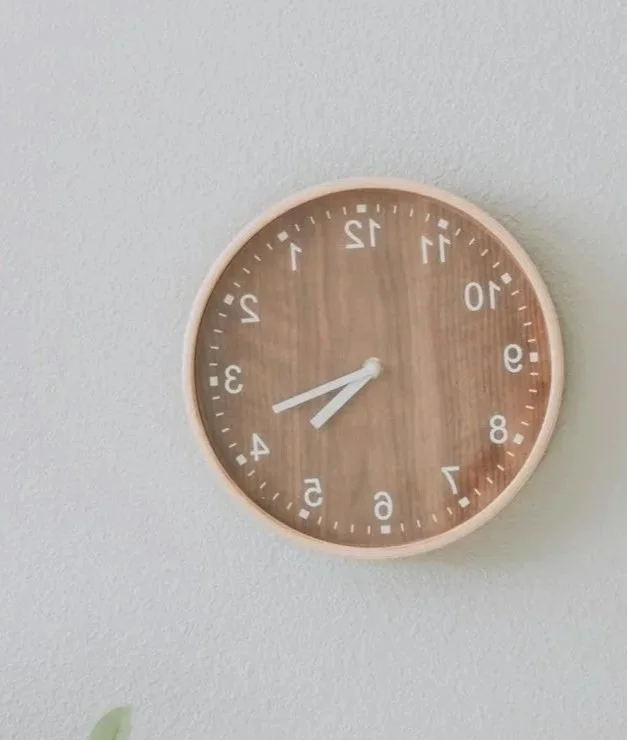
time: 7:42
